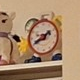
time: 1:40
